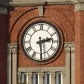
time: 2:29
